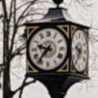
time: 9:36
